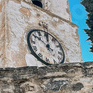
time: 11:50
